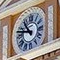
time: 10:47
